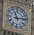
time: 11:13
